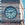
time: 9:10
